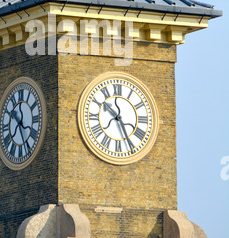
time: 10:25
